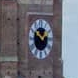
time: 1:50
